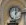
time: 12:07
